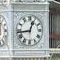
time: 12:43
